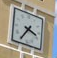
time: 3:35
